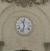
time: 11:32
